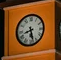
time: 8:27
